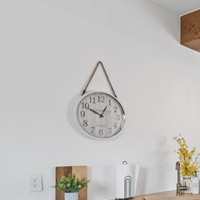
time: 12:49
